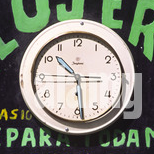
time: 10:28
